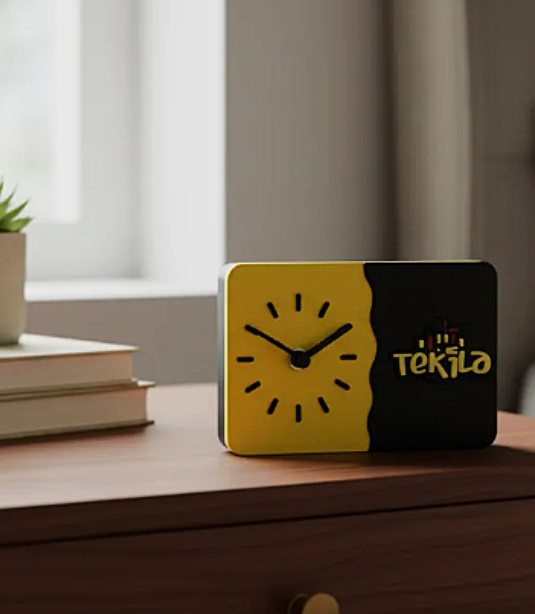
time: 1:50
